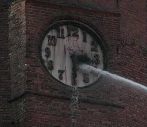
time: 3:29
